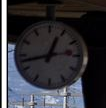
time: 12:42
